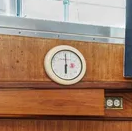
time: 6:00
